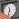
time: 11:32
